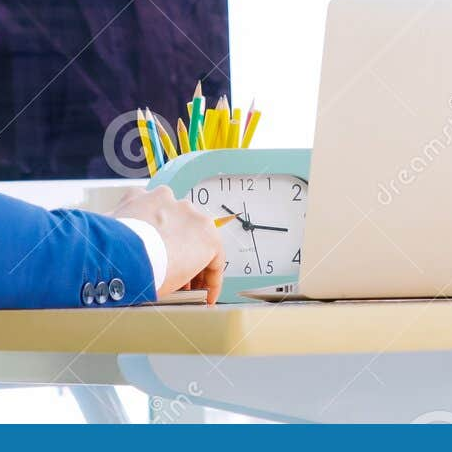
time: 10:15
